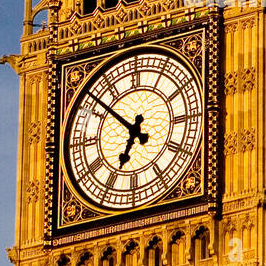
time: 6:51
